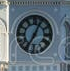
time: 7:04
